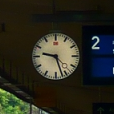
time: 9:26
